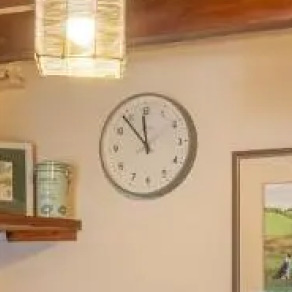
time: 11:53
